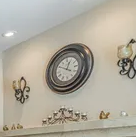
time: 12:49
